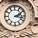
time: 2:17
